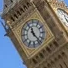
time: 11:23
